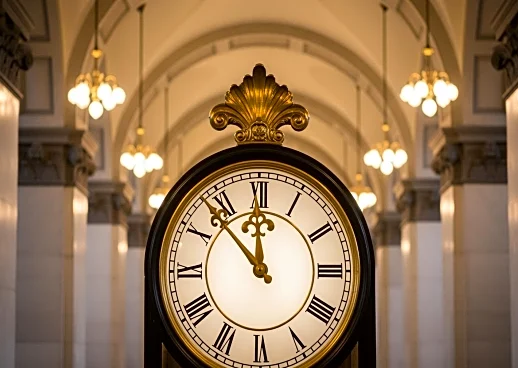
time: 11:52
